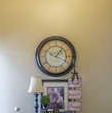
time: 1:18
